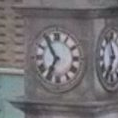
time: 6:54
